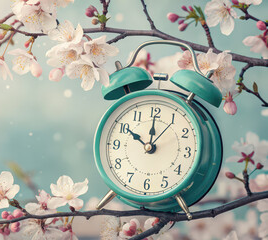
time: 10:00
